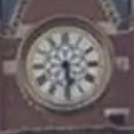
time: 5:29
